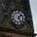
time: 1:24
